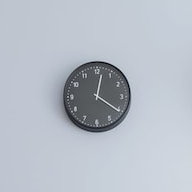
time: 12:20
